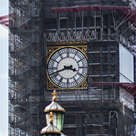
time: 3:41
